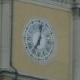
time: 7:01
